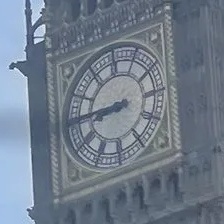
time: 8:45
